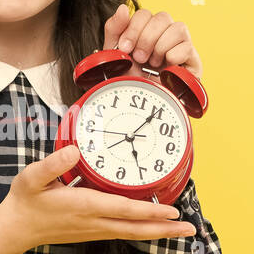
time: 5:05
